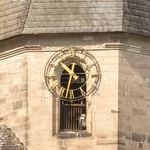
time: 10:32
